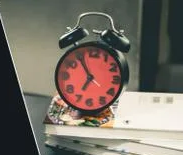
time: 6:54
